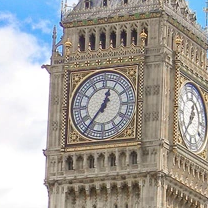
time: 12:36
